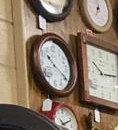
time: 10:20
